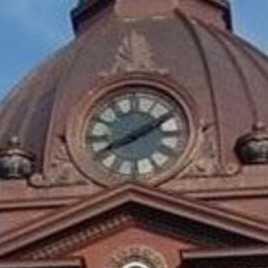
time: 8:09
